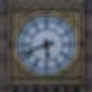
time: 5:41
